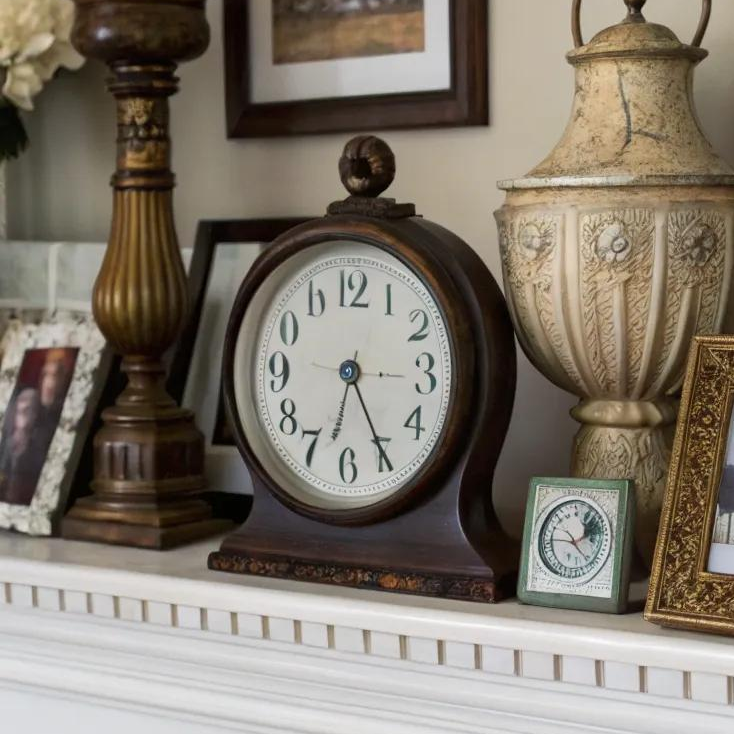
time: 6:25
